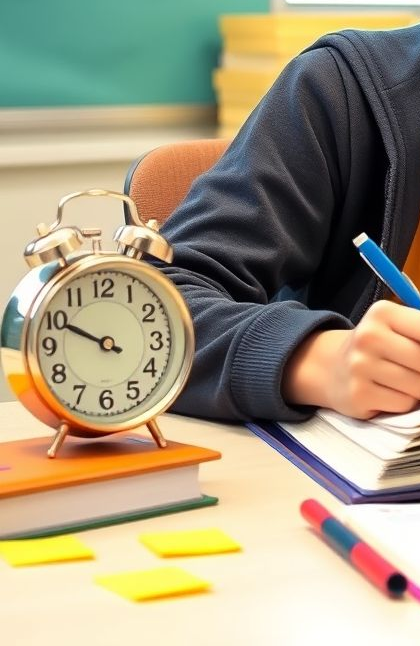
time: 9:49
